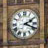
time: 2:18
